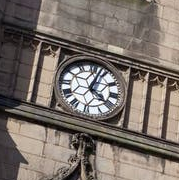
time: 4:02
